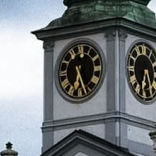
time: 6:25
